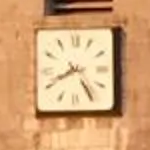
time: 8:24
